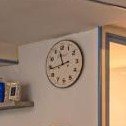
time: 11:43
